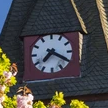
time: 7:19
